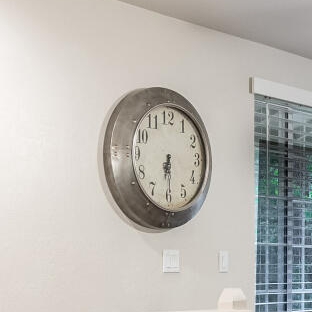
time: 6:30
